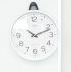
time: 10:11
